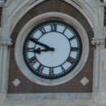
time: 8:48
